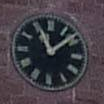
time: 11:08
